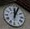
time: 12:04
